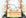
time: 4:46
